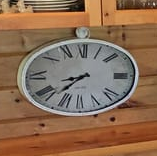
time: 8:38
